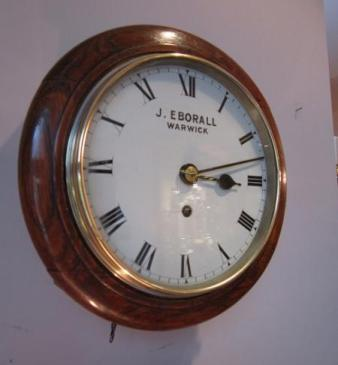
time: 3:12
